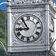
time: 8:54
